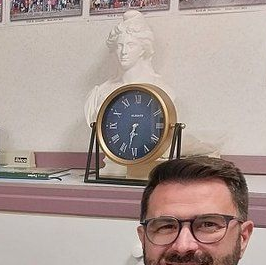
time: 6:32
